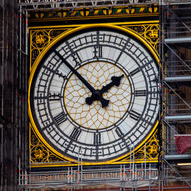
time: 1:52
